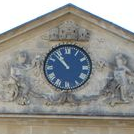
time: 10:52
